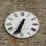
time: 6:34
